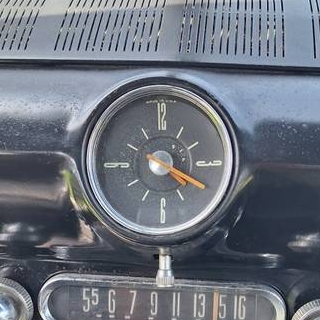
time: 4:19
